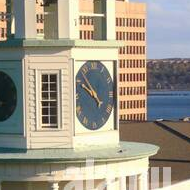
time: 9:52
